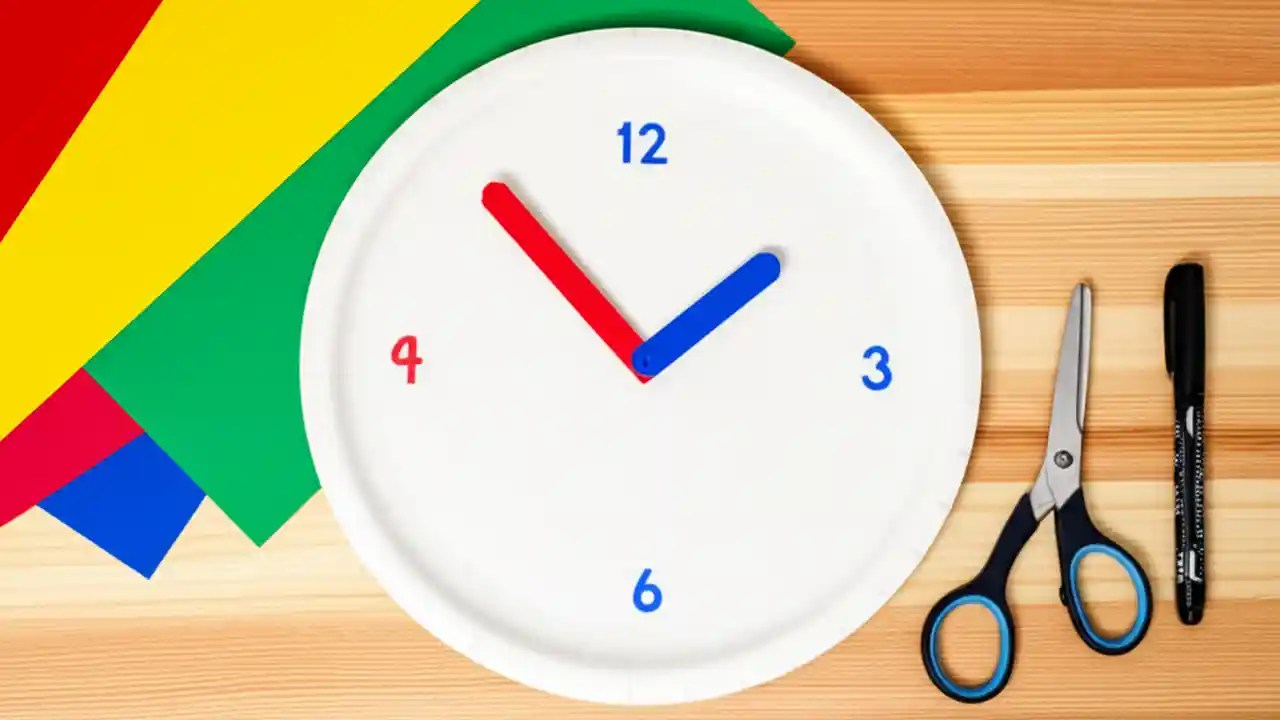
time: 1:52
